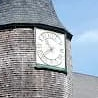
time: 10:39
